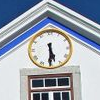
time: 5:30
